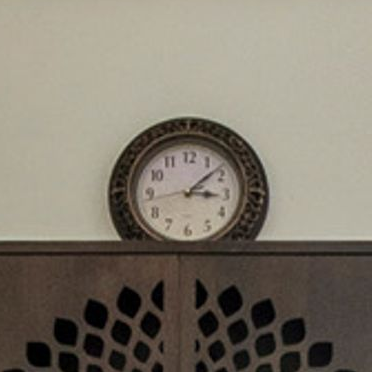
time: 3:08
